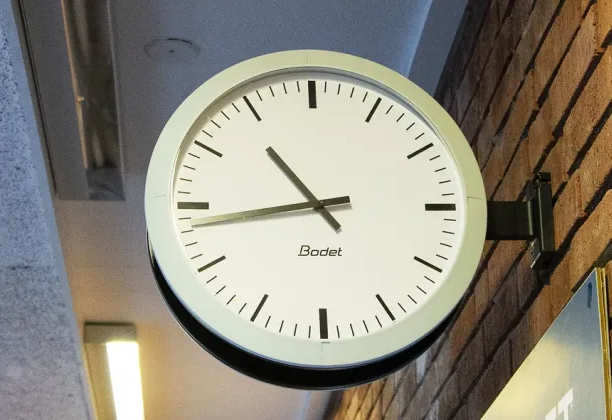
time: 10:43
